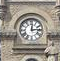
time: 12:13
